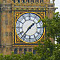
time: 1:37
